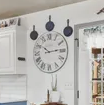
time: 10:13
